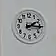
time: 2:15
